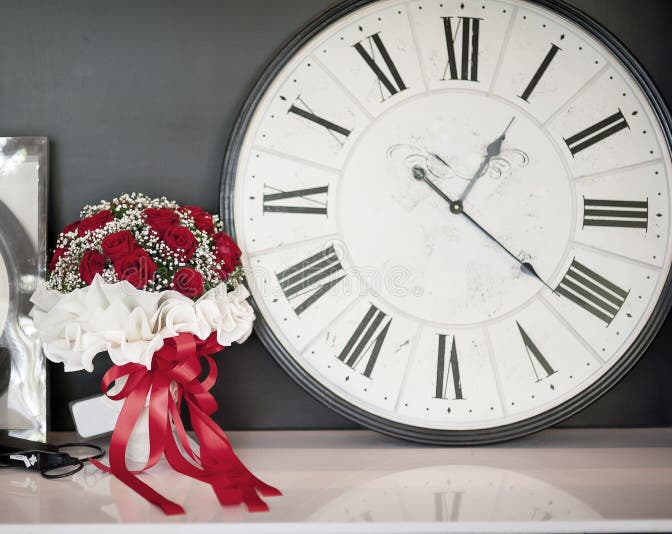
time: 1:21
